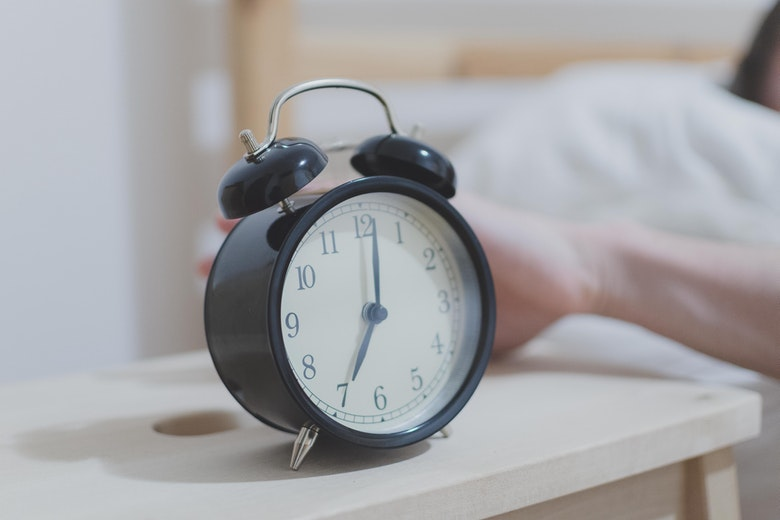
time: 7:01
